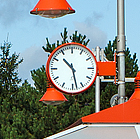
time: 10:28
